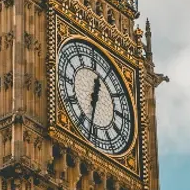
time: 12:32
